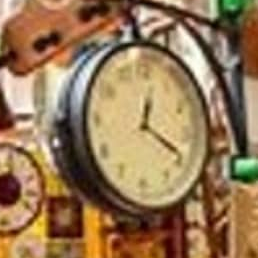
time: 12:19
